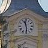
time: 11:29
